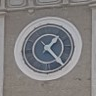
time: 1:23
